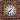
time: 7:37
